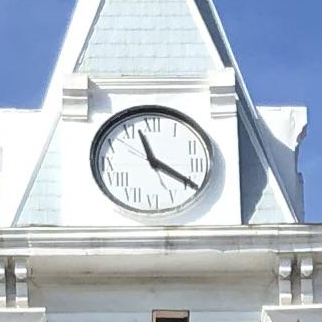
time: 11:19
